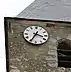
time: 3:34
